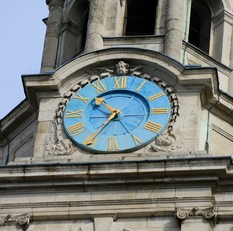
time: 10:35
